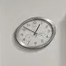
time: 12:51
